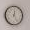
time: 12:24
